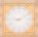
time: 9:10
